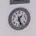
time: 1:26
